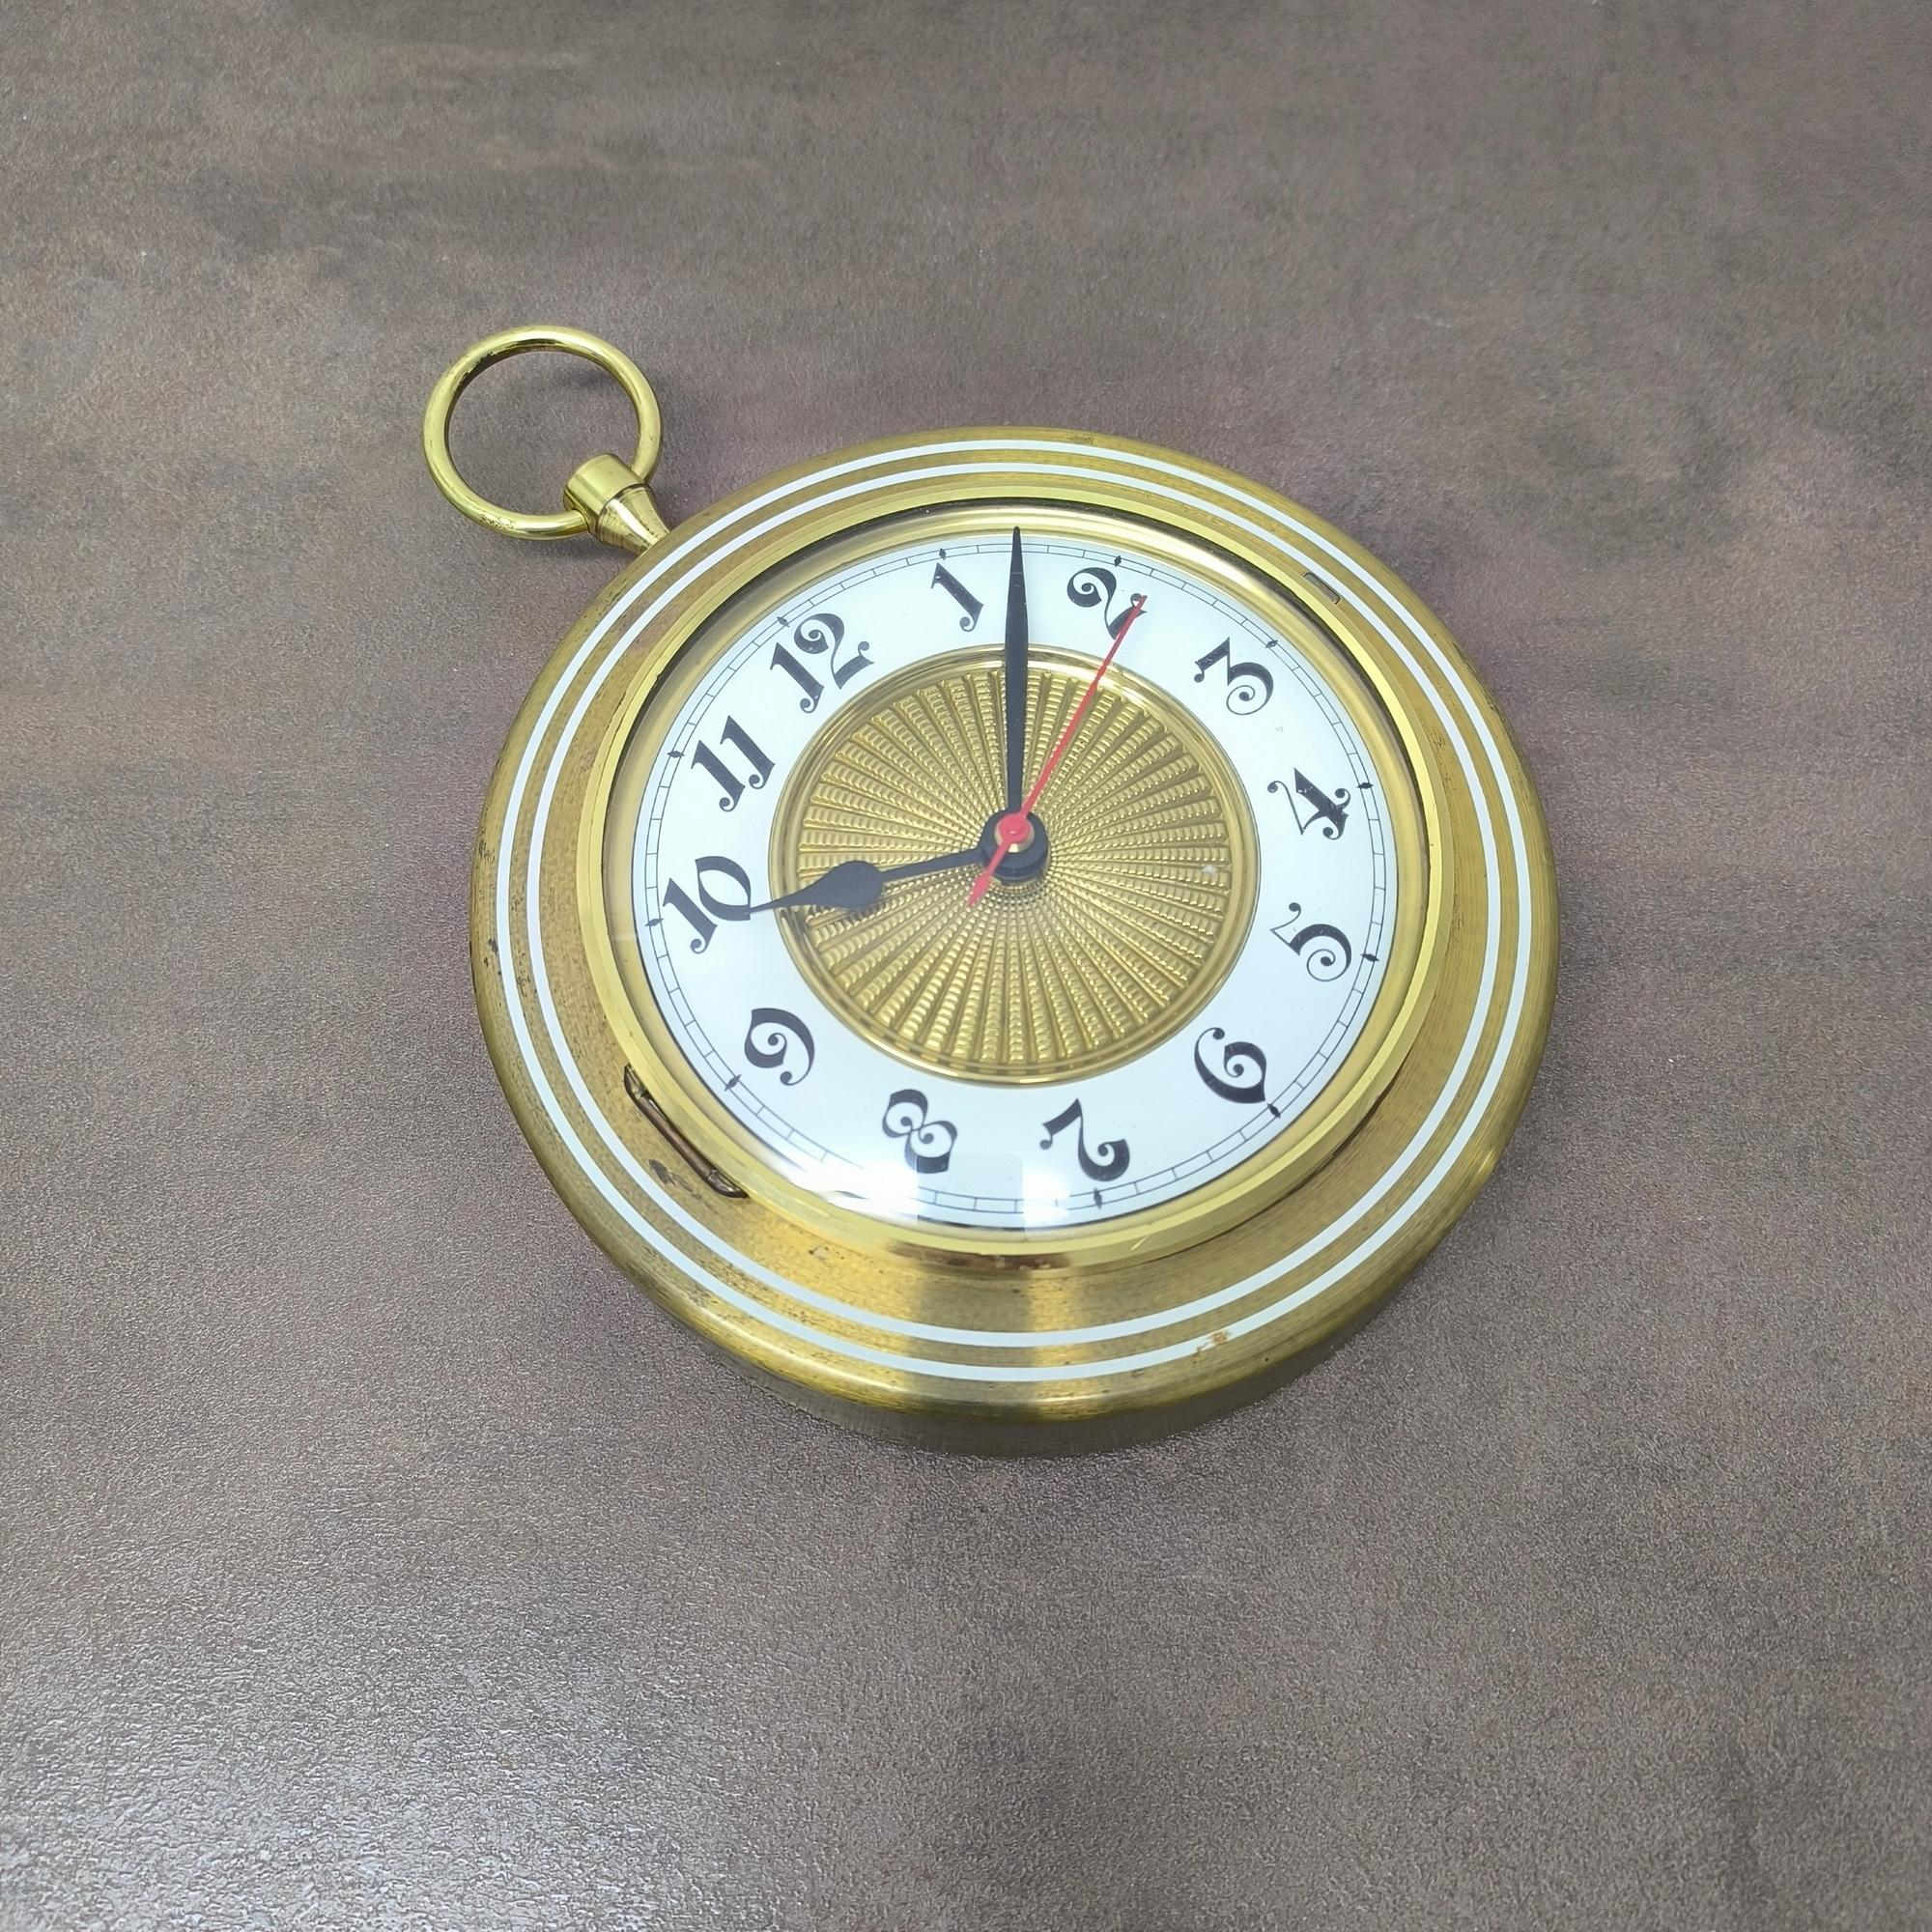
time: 9:01
